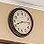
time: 8:14
